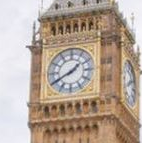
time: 1:40
